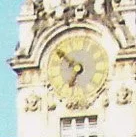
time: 6:50
